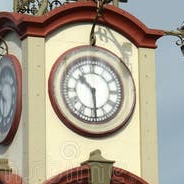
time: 10:28
